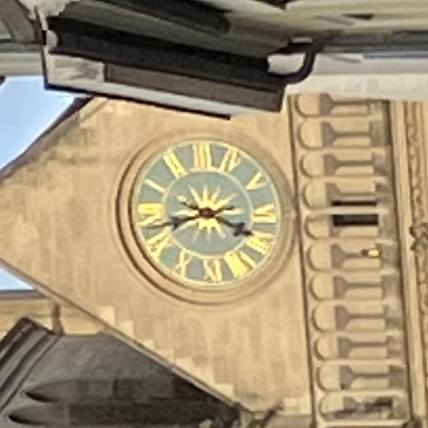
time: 3:42
